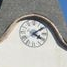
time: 4:08
